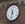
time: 11:32
